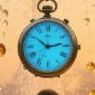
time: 10:13
